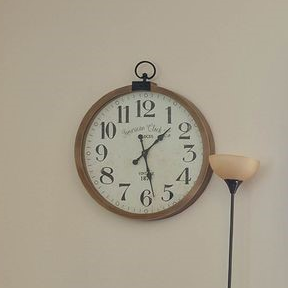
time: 1:28
